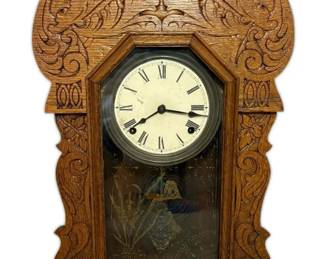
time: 8:16
